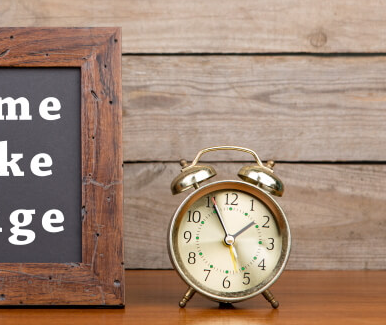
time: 1:55
